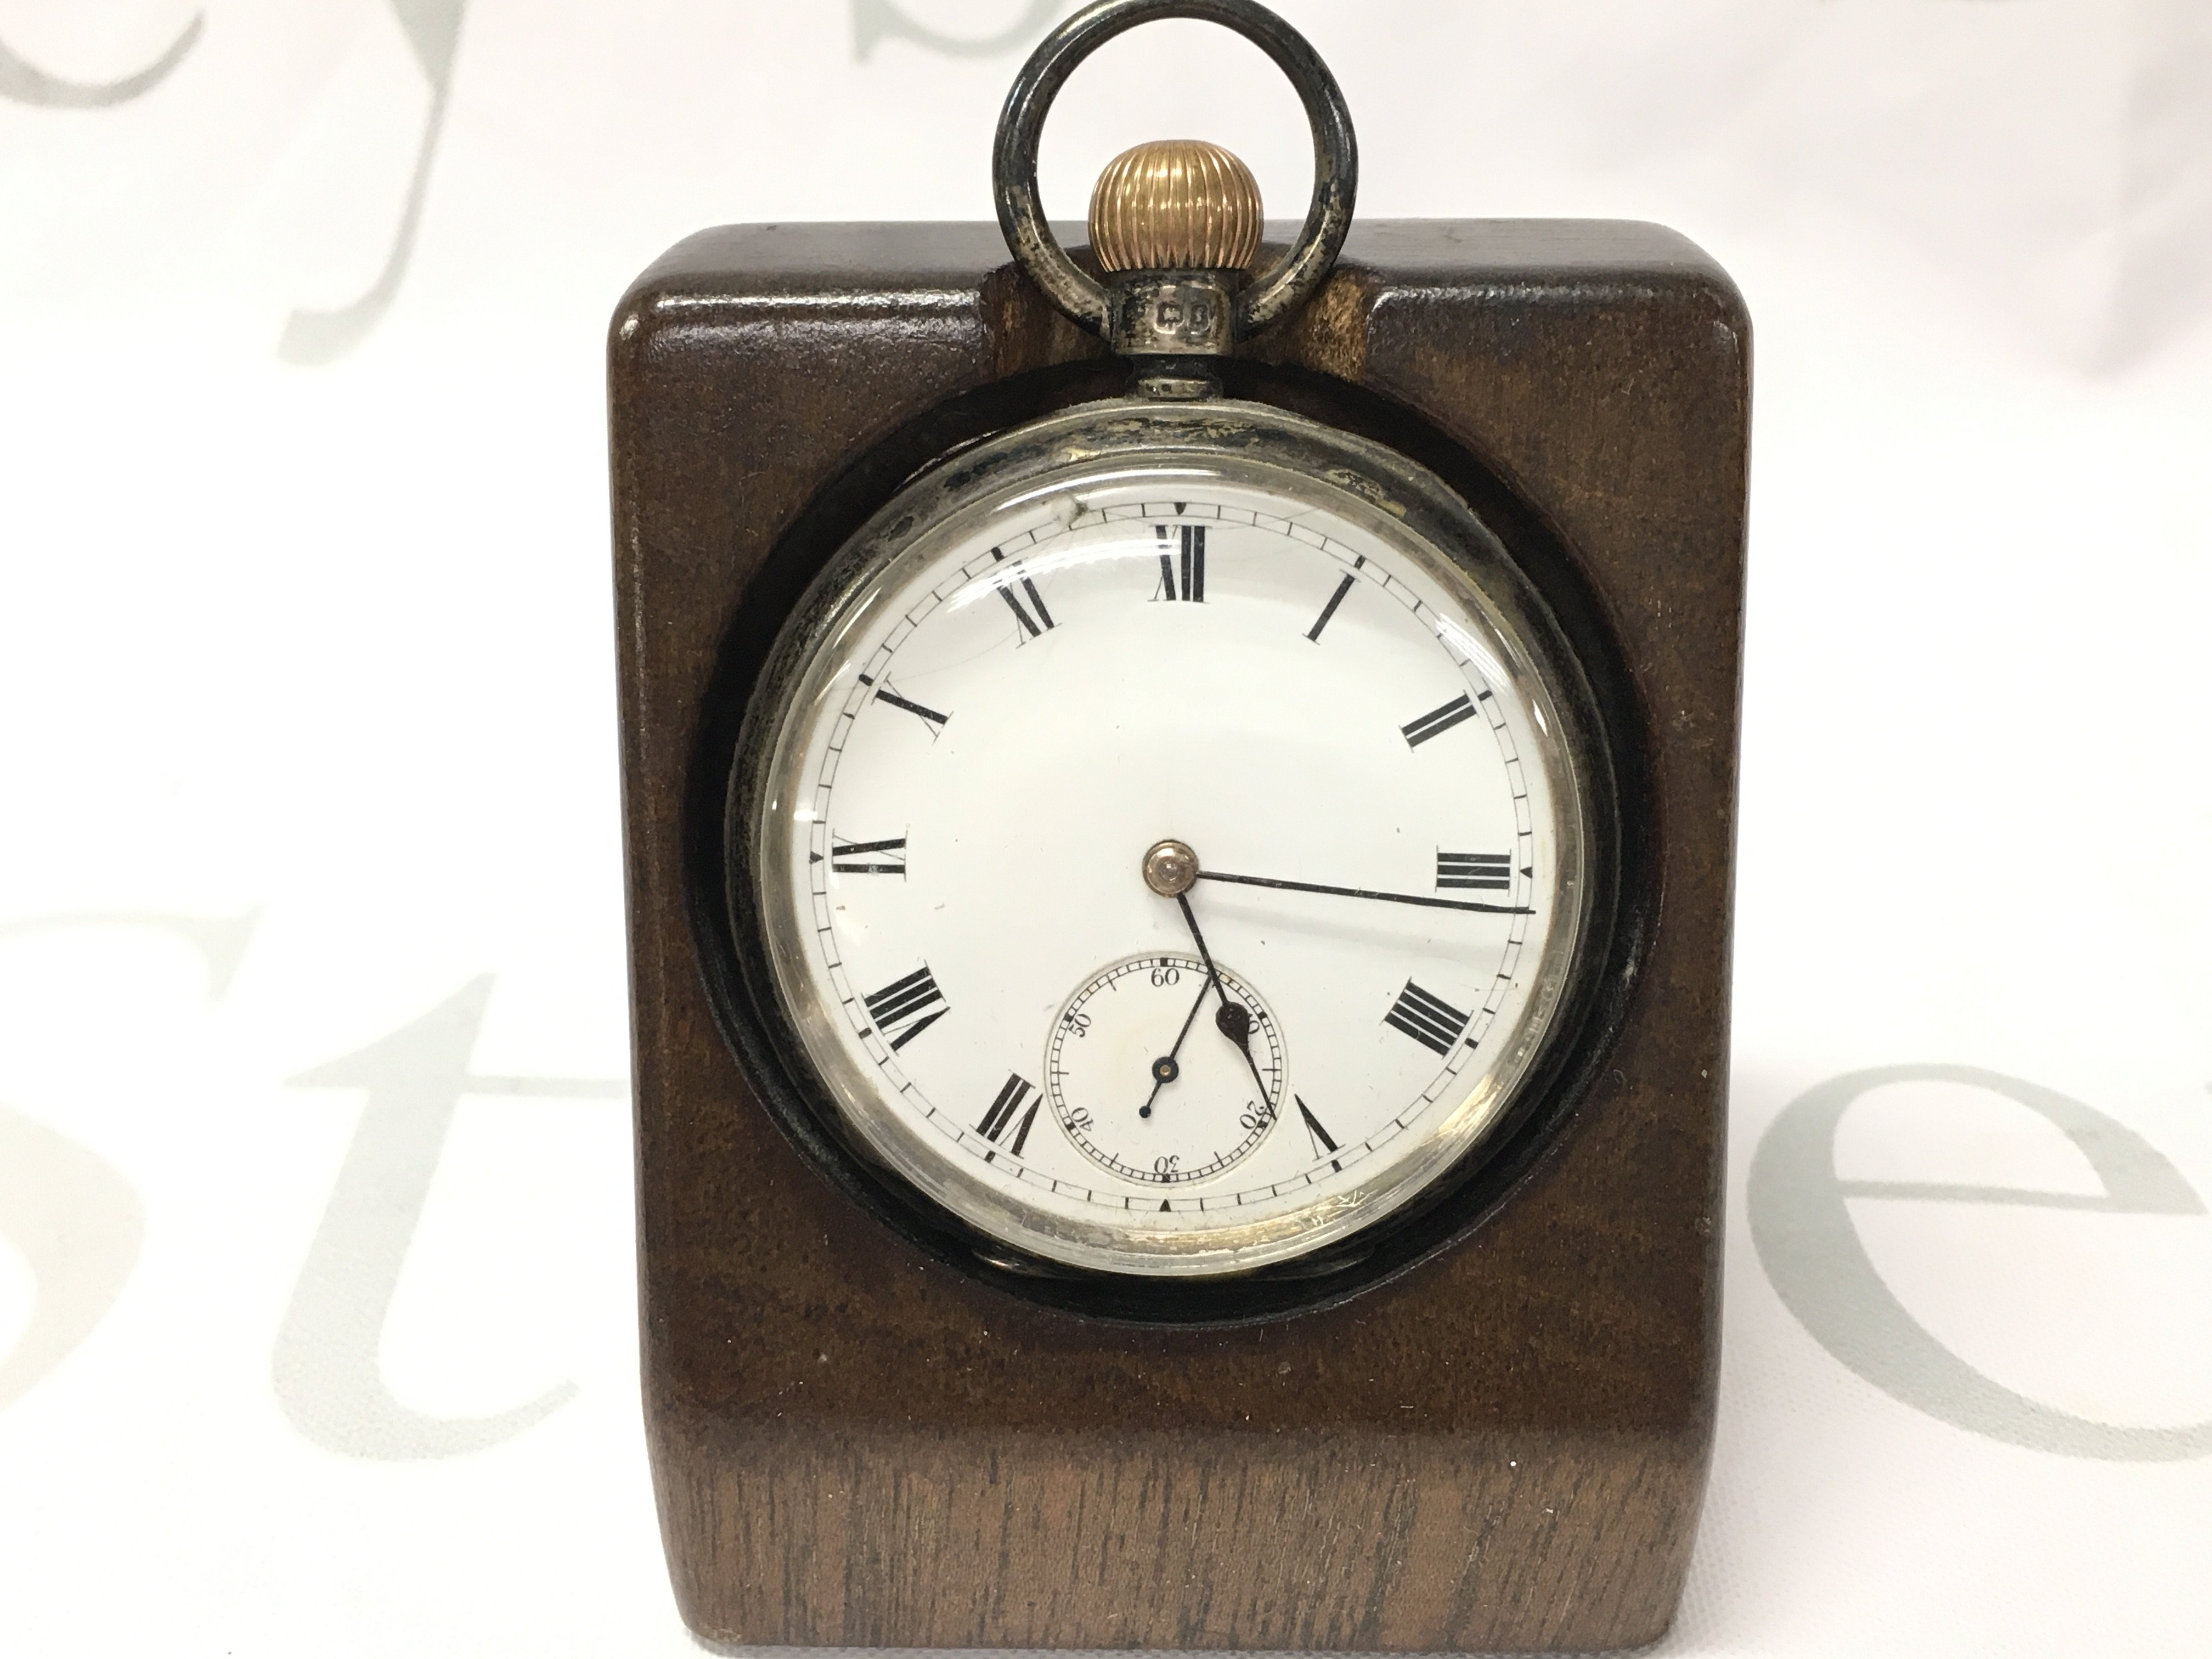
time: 5:15
